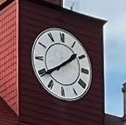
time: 1:39
